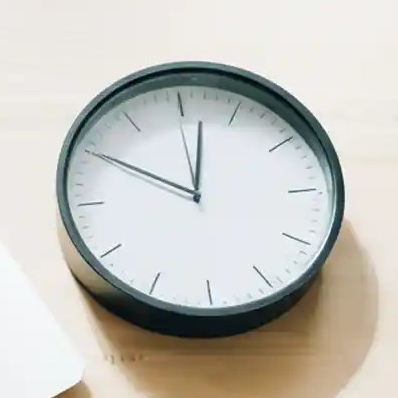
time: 10:01
